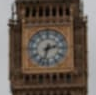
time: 2:32
